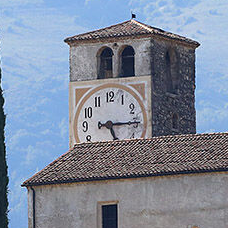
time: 5:15
